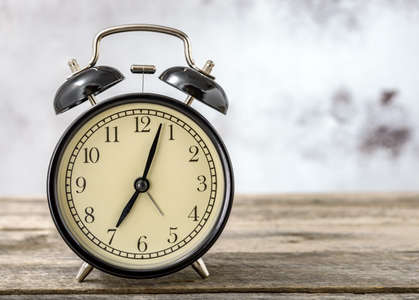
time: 7:03
